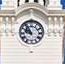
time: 9:54
